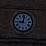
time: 9:01
